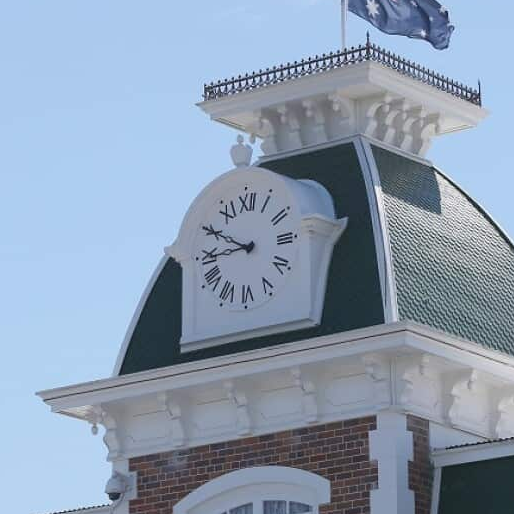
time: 8:49
